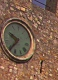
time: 9:38
